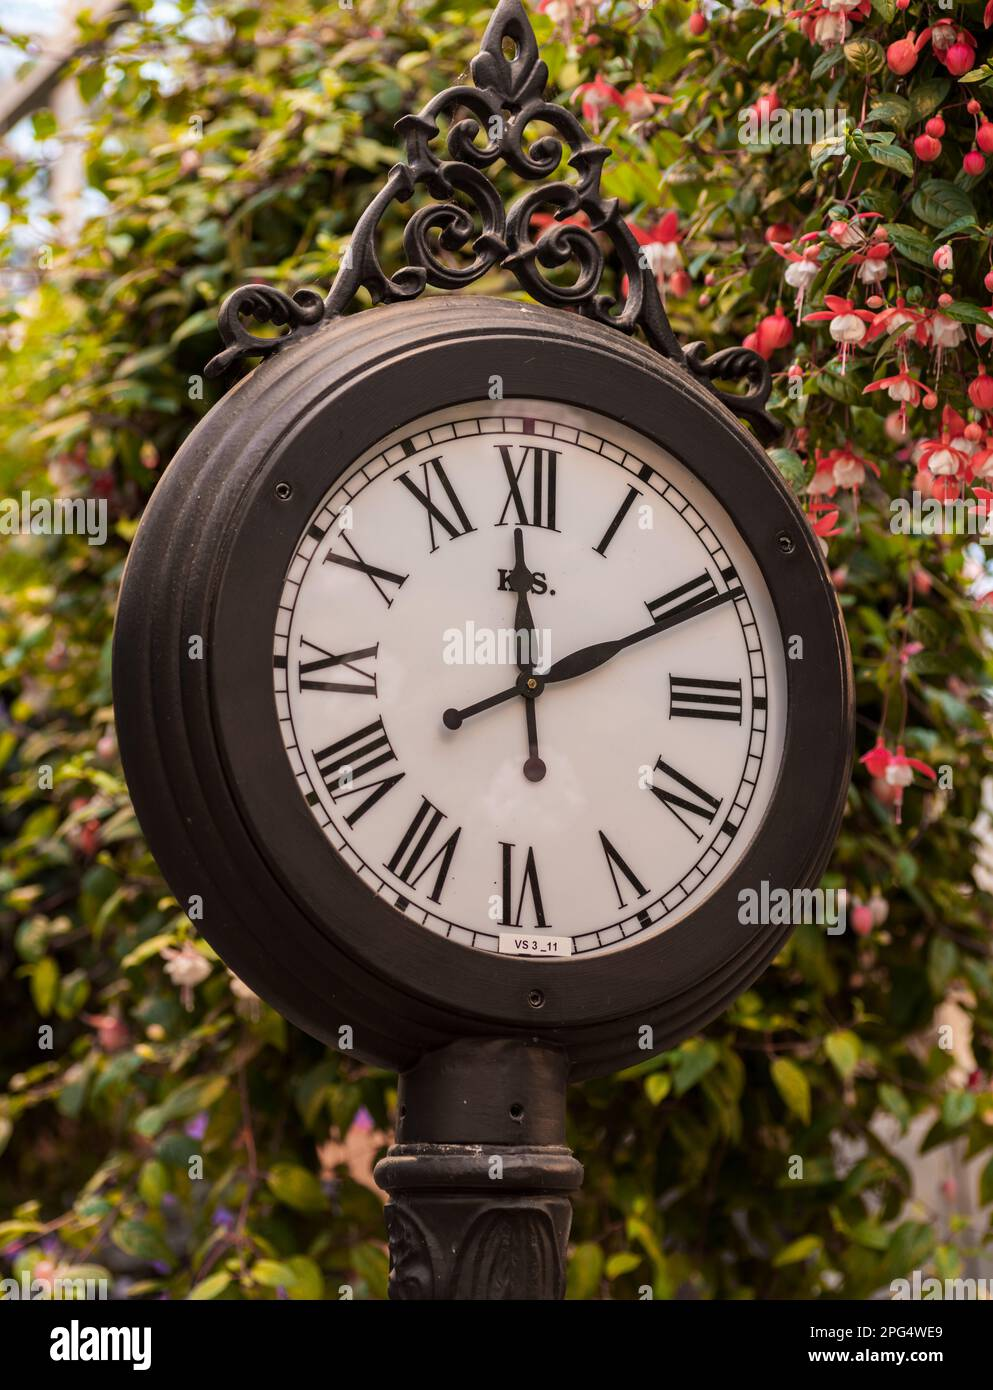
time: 1:59
